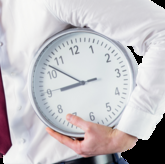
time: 8:51
